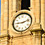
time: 9:12
